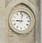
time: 9:01
